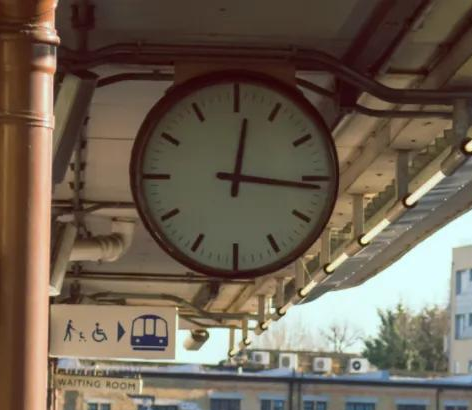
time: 12:16
